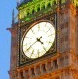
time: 4:40
